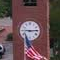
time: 9:14
